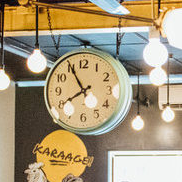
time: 7:55
